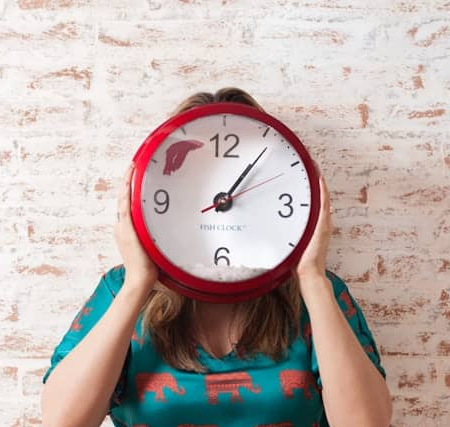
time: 1:06
